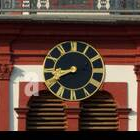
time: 8:40
